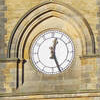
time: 12:26
